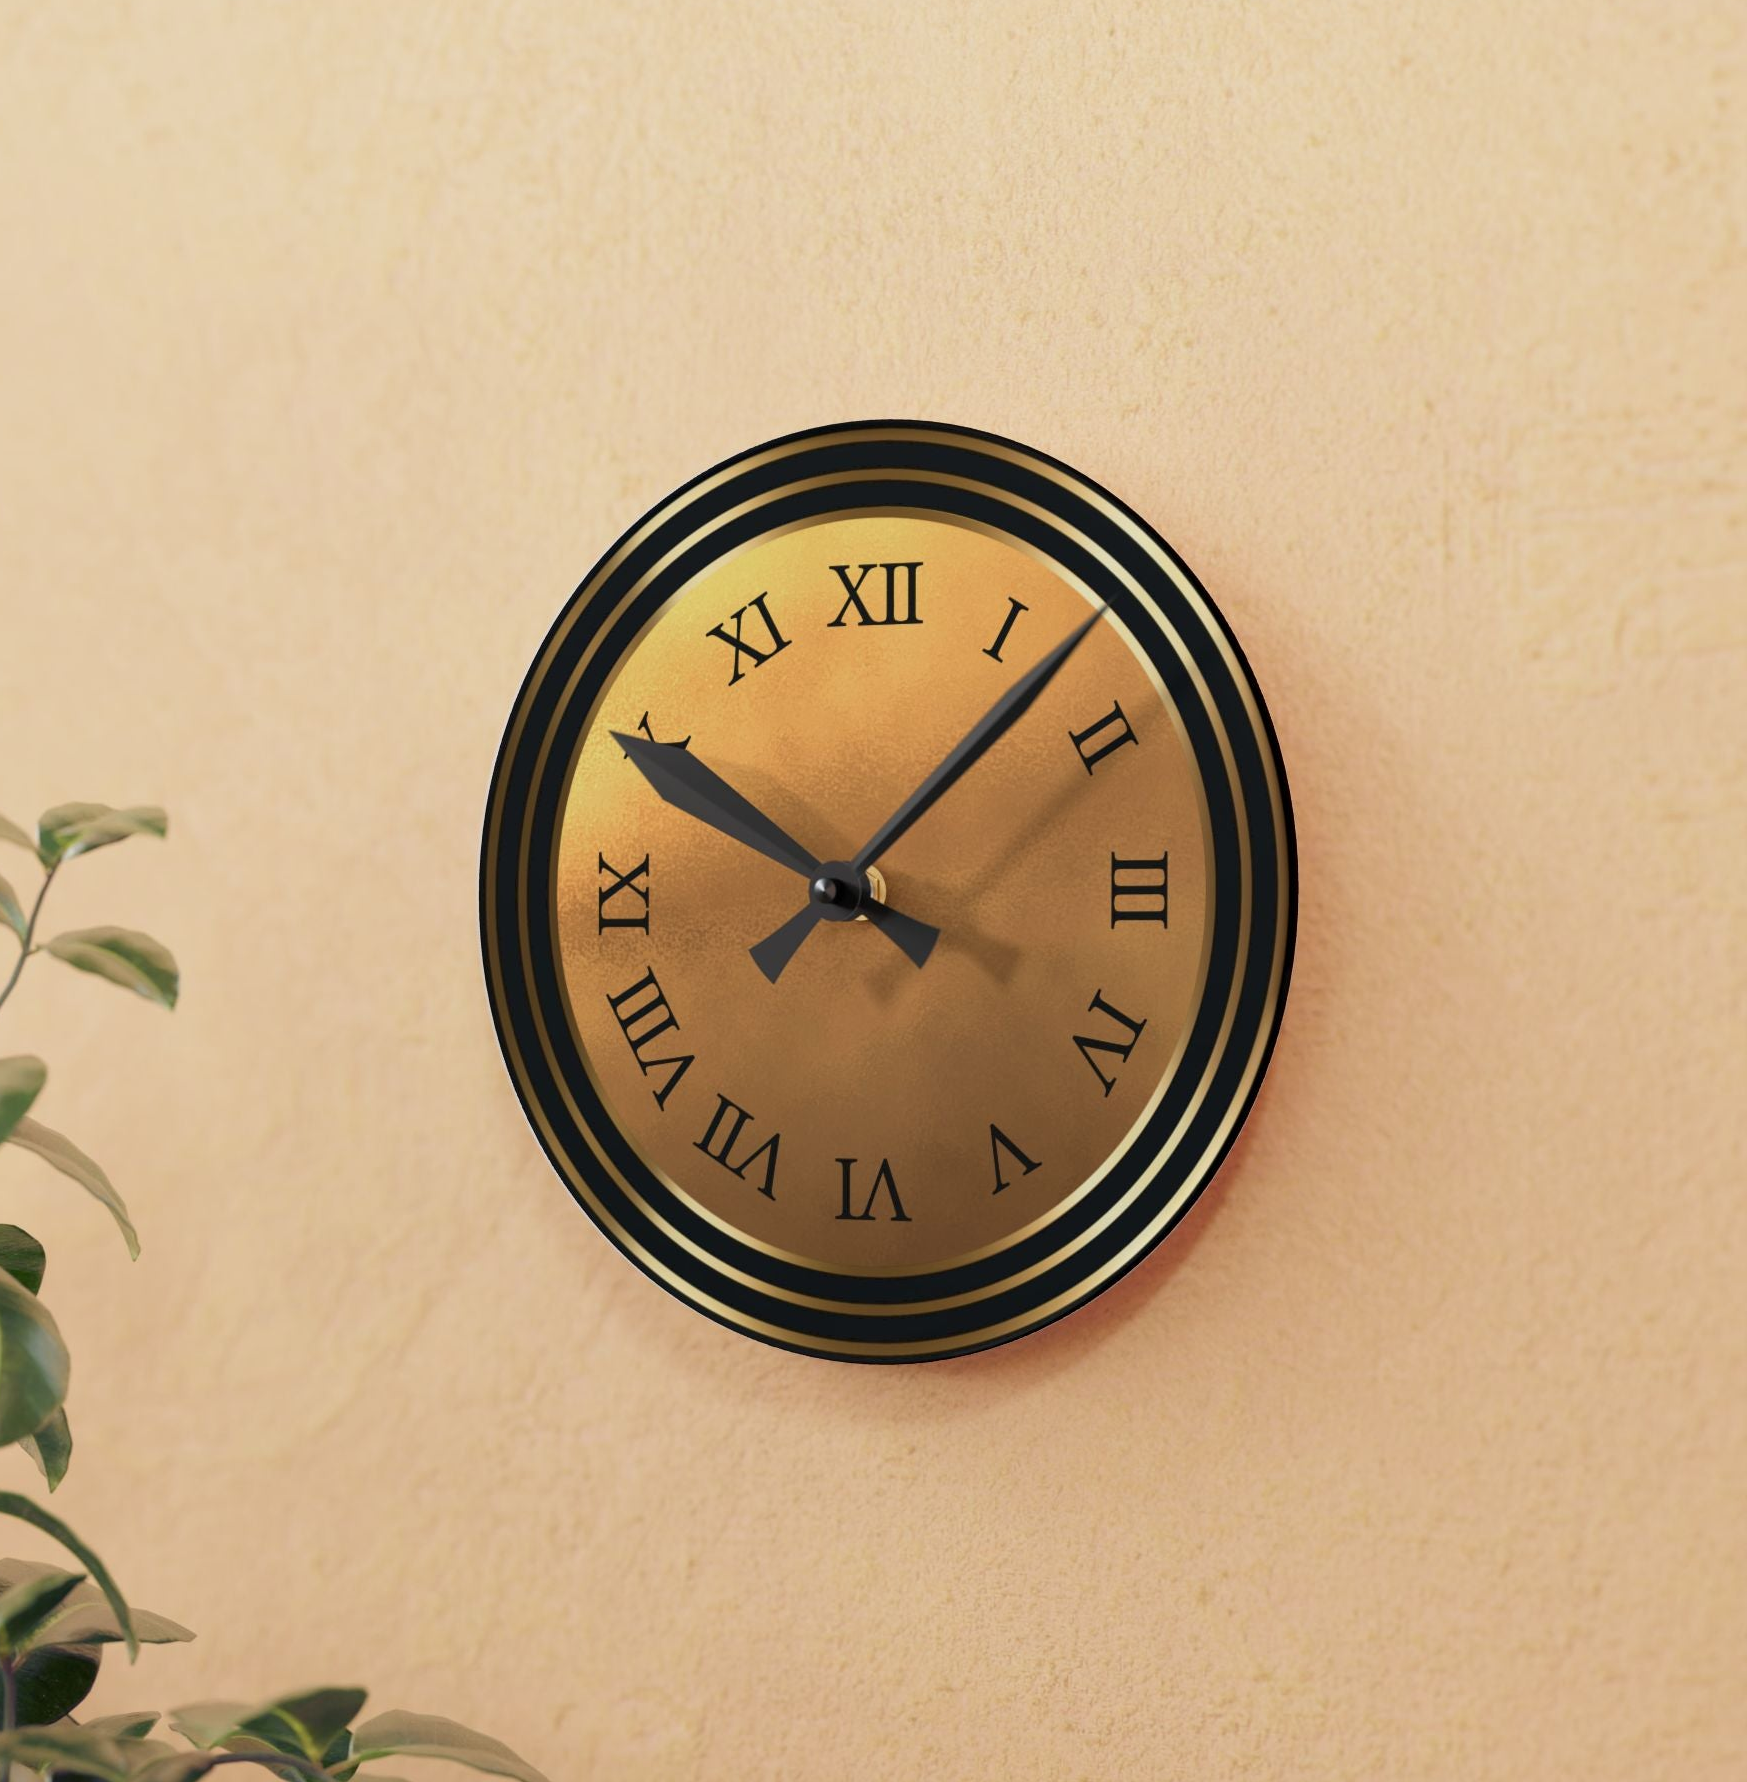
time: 10:07
